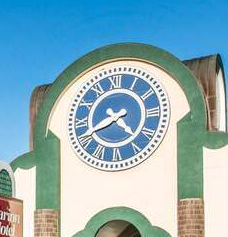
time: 4:40
